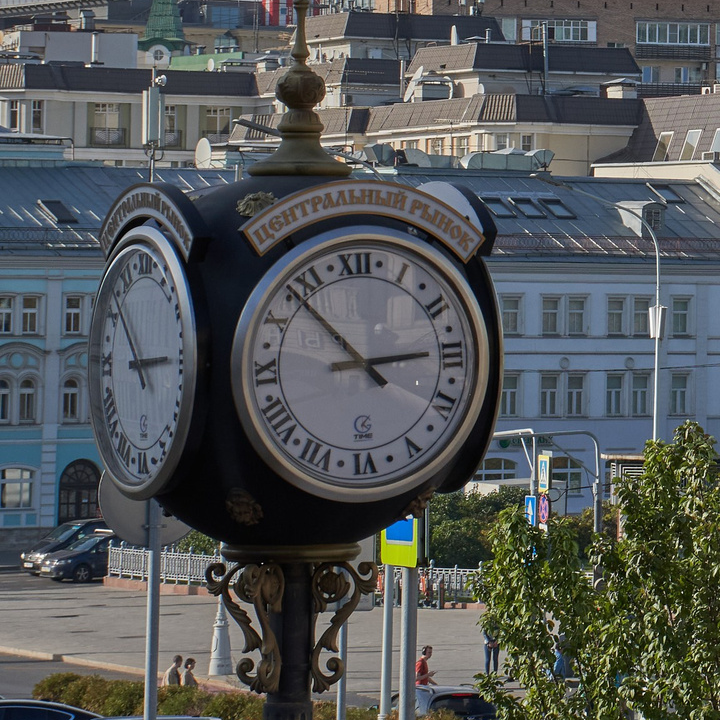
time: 2:52
